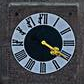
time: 4:20
